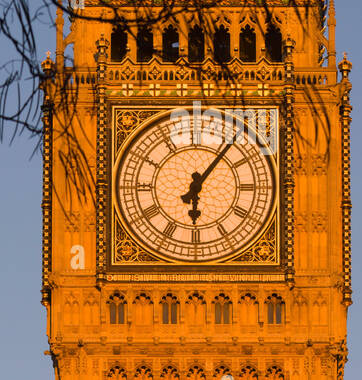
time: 6:06
